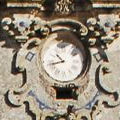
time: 10:42
